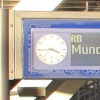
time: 3:44
